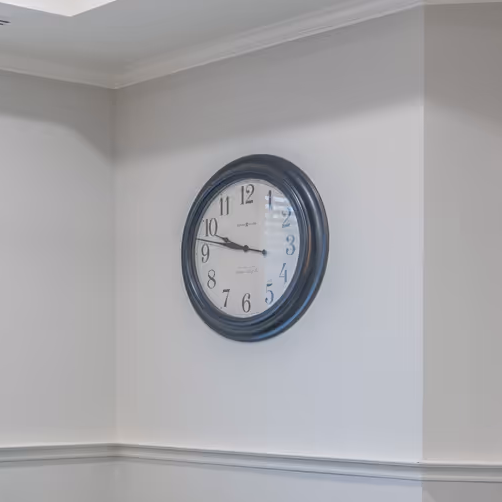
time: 9:47
